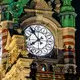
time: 7:53
